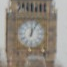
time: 12:04
